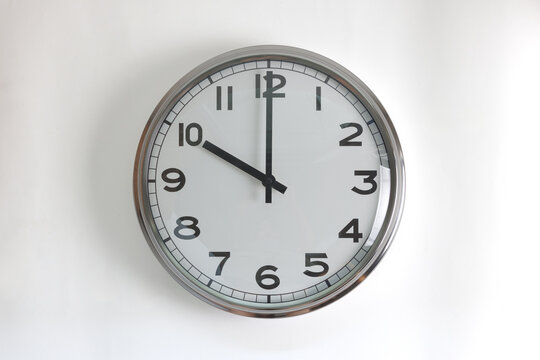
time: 10:00
